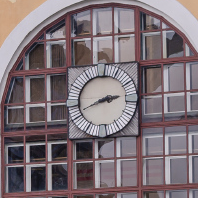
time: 2:41
